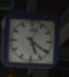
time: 5:20
